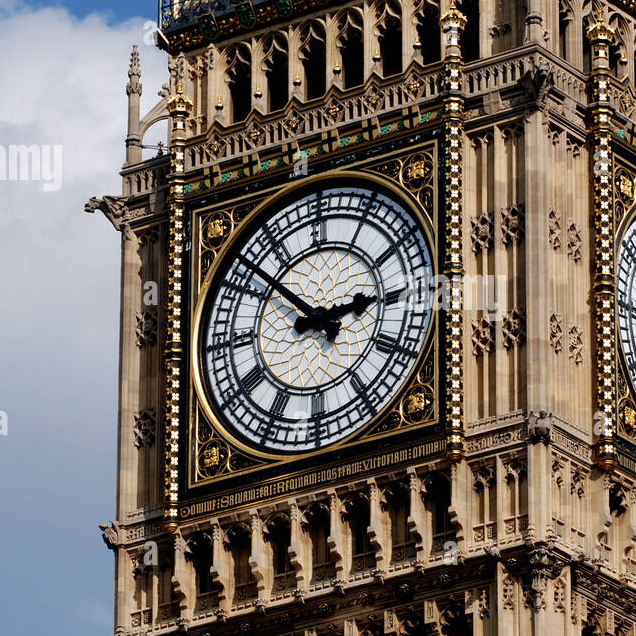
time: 2:52
